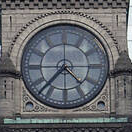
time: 4:37
